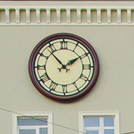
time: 1:53
